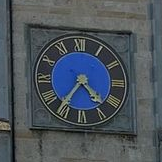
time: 4:36
